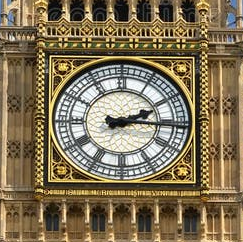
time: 2:15
